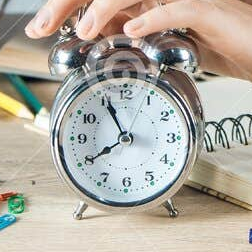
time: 7:55
